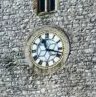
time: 11:17
